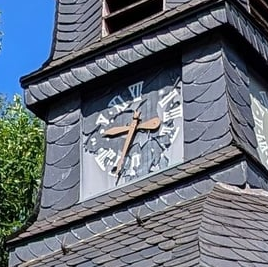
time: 8:33
